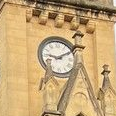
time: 9:10
